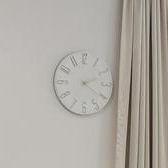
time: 2:20
